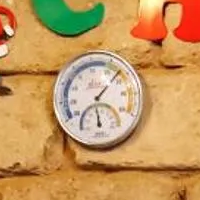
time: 6:08
